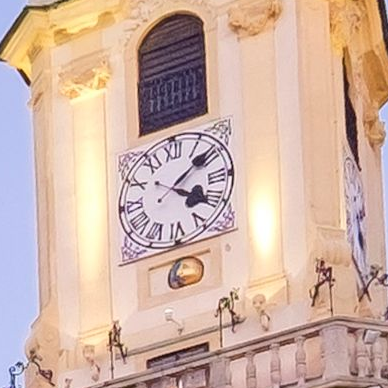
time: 4:08
